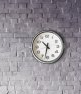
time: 10:32
